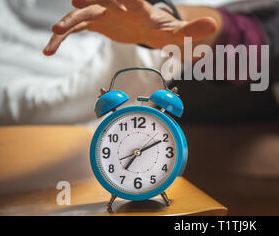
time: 7:10
